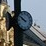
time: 9:50
